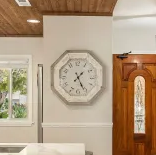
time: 1:26
